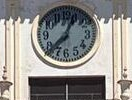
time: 12:37
